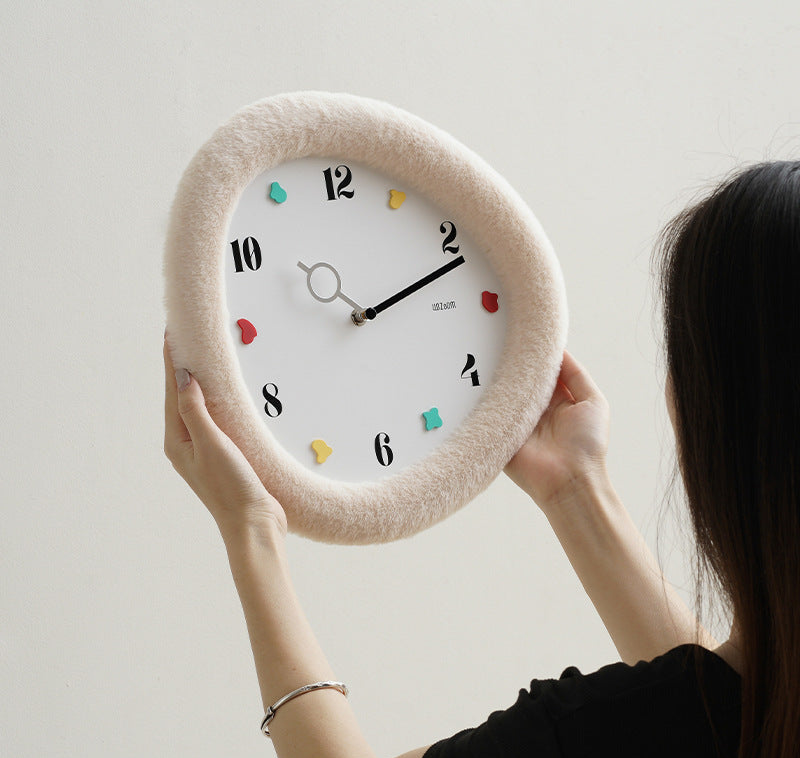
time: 2:11
